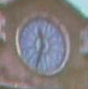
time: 11:33
